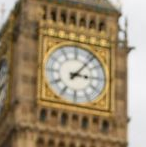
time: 3:06
